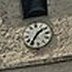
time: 1:35
